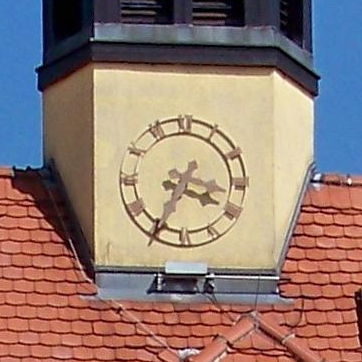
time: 3:34
